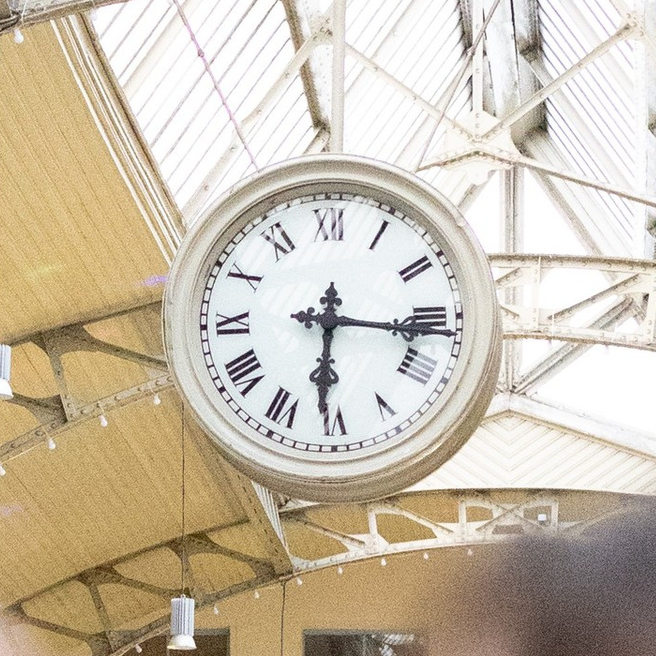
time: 6:16
